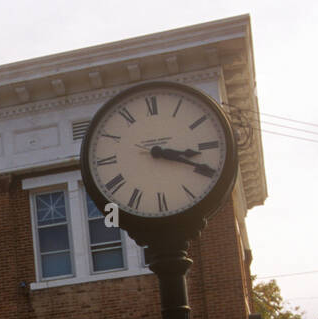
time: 3:19
